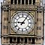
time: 9:05
